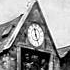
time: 11:25
